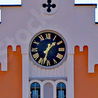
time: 1:32
